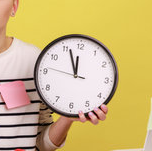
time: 11:56
